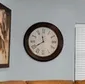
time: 11:39
